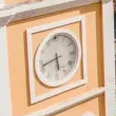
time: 5:42
